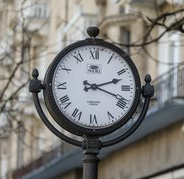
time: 2:18
